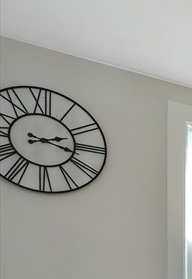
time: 2:18
